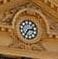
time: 2:35
